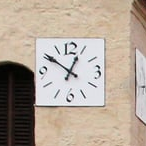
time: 12:50
